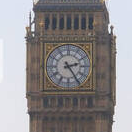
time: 2:24
